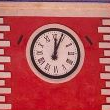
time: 12:03
